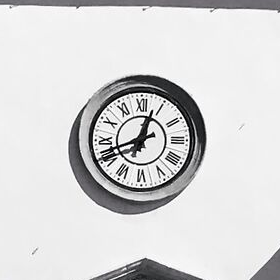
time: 12:41
